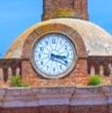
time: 3:20
